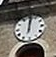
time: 12:01
